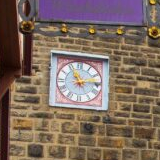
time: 11:13
